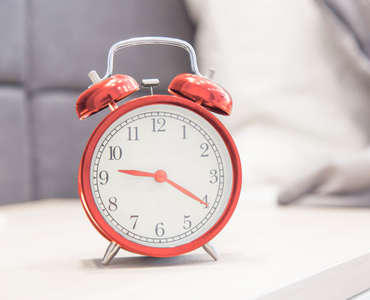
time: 9:20
